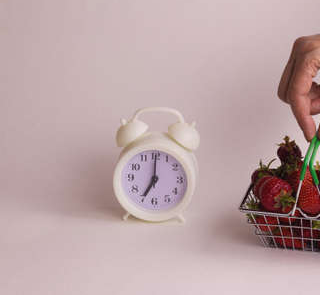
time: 7:00
